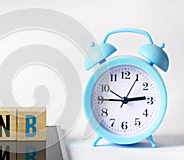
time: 2:45
